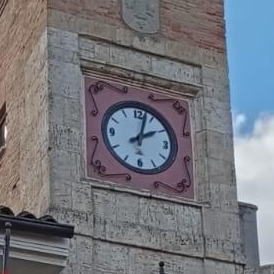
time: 2:02
